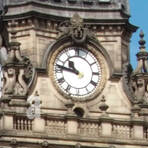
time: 10:47
